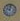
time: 10:02
